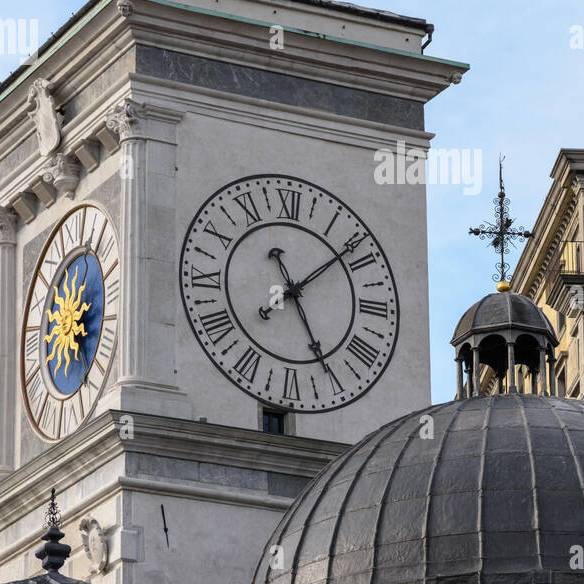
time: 5:08
